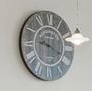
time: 9:19
